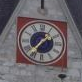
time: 1:36
